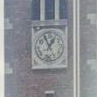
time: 12:55
